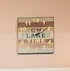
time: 2:09
